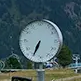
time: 6:34
